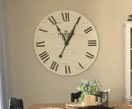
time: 11:04
